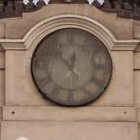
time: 12:53
